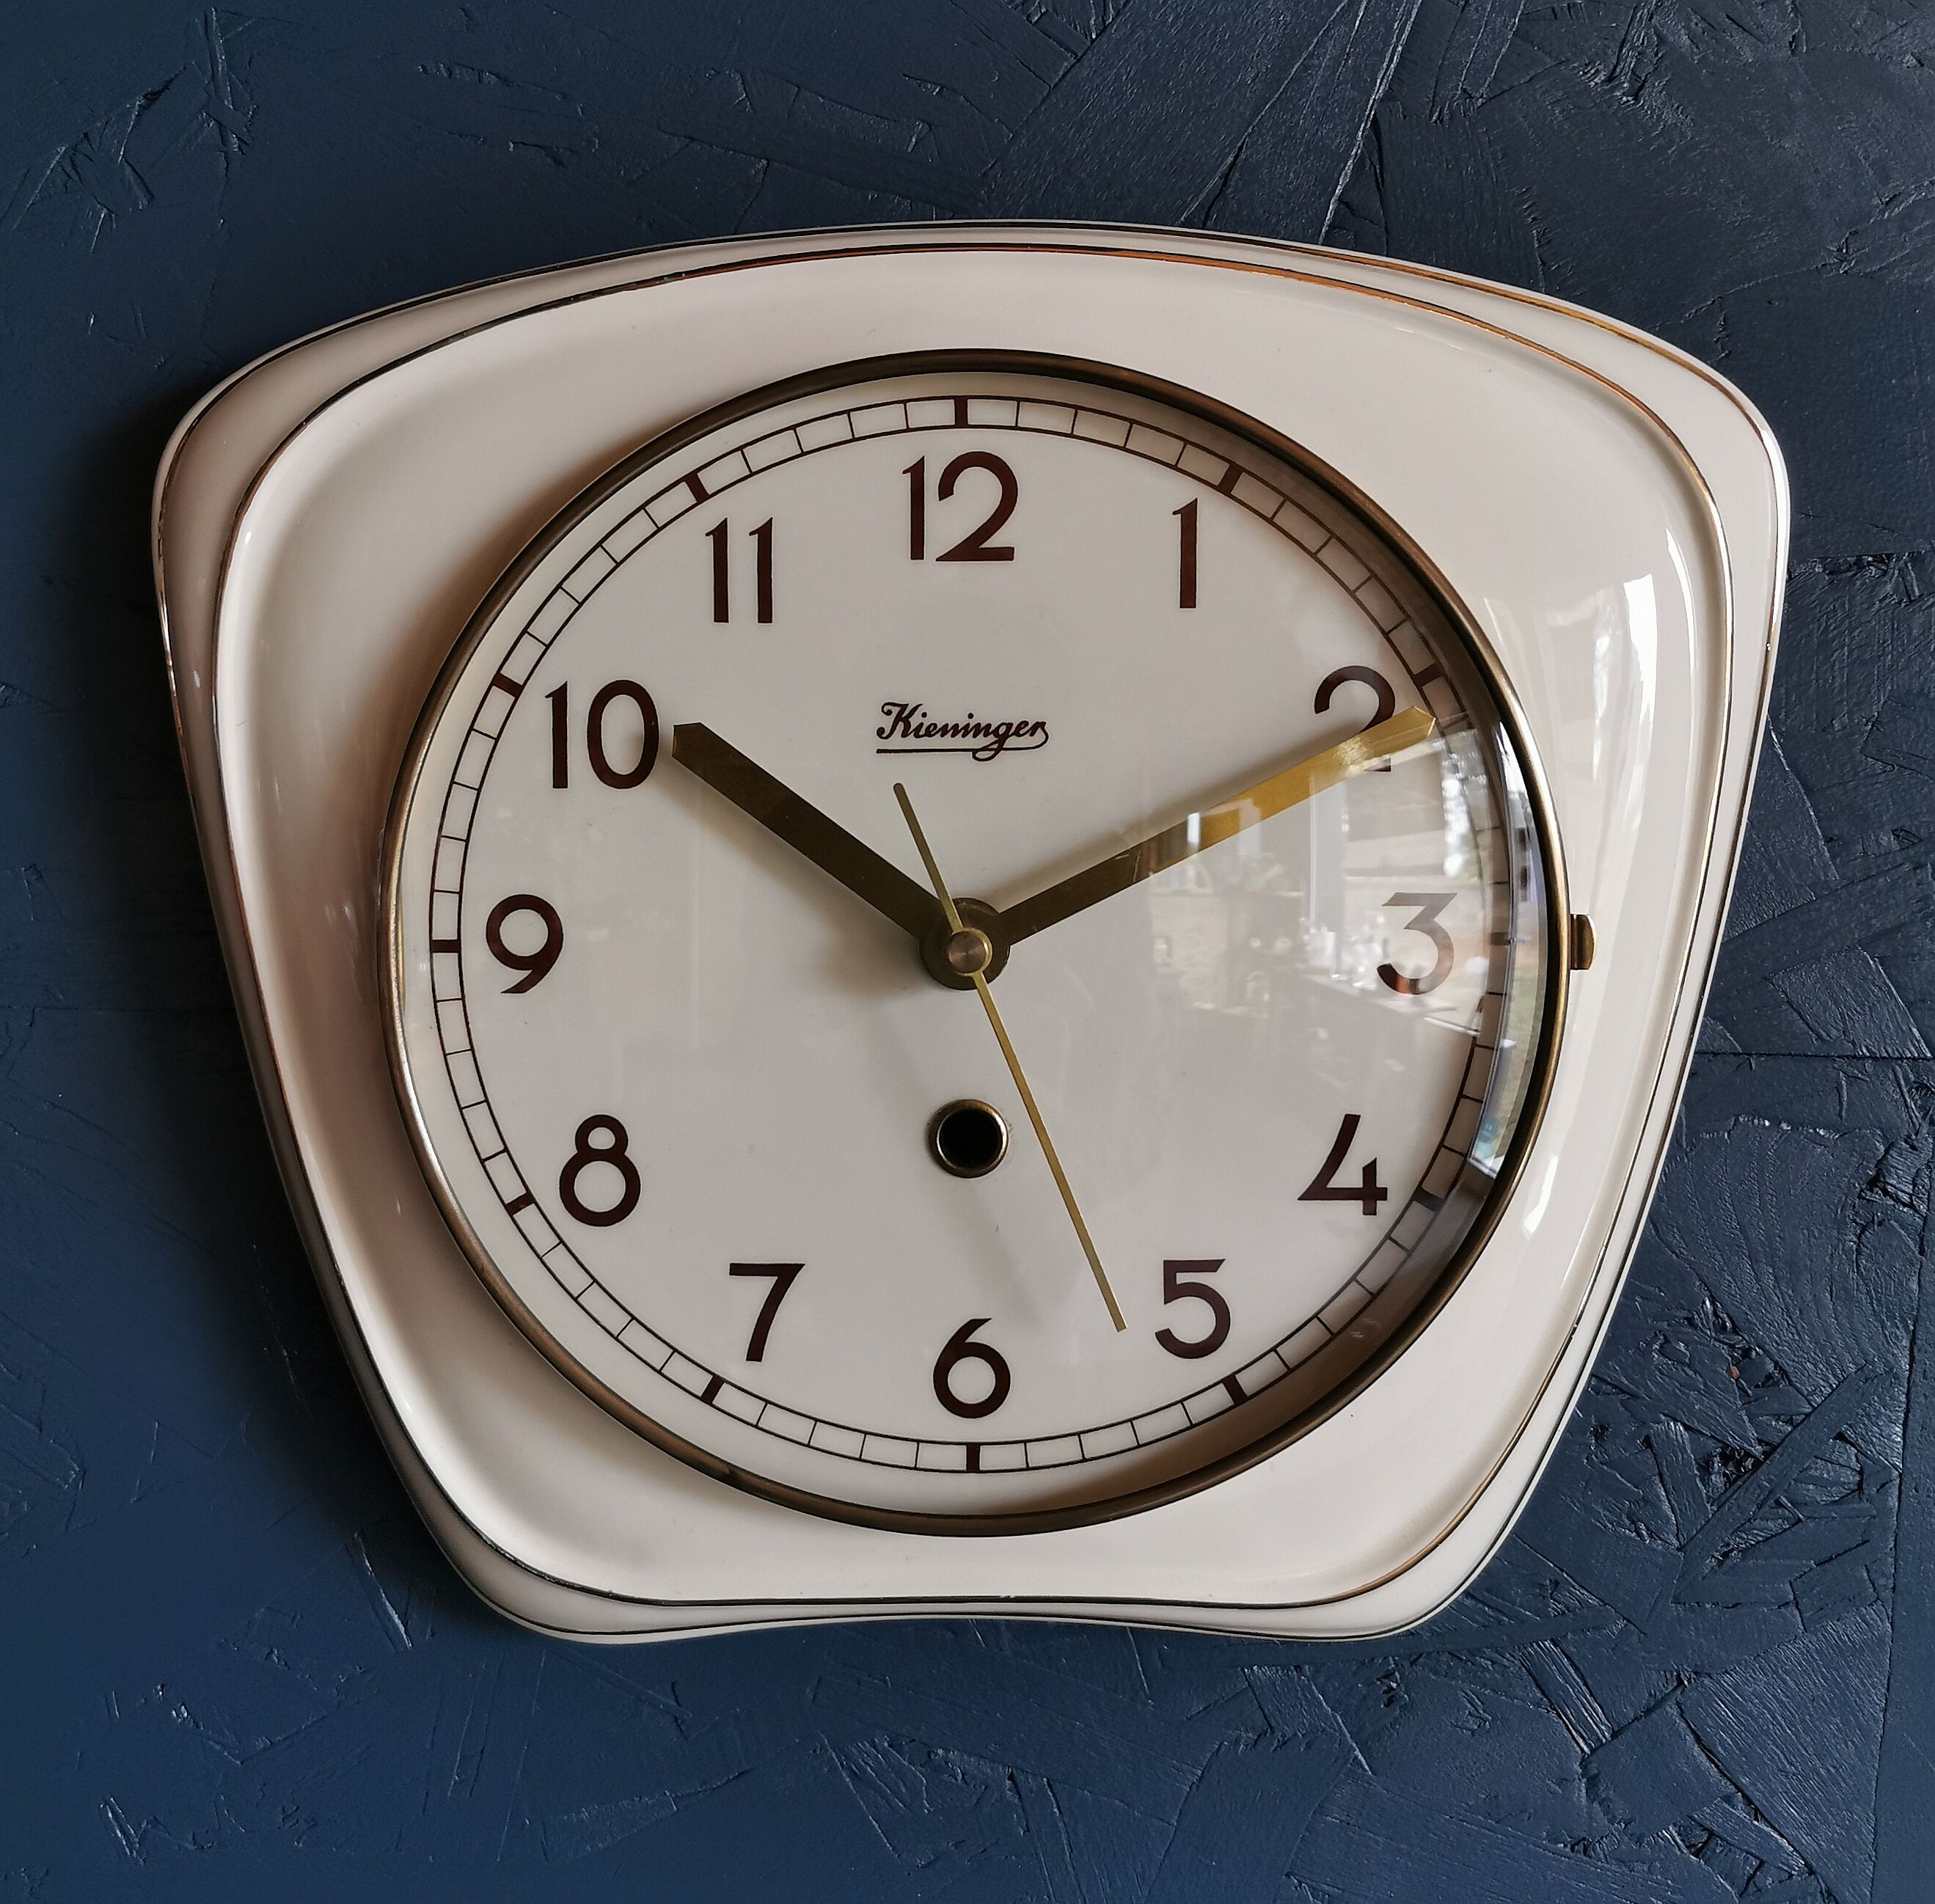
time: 10:10
